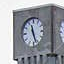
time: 11:26
